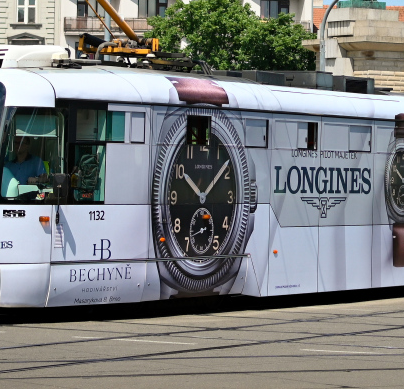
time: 10:07
